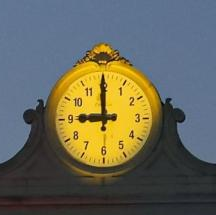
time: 8:59
